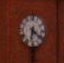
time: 6:21
